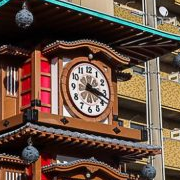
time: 3:18
